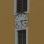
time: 5:14
